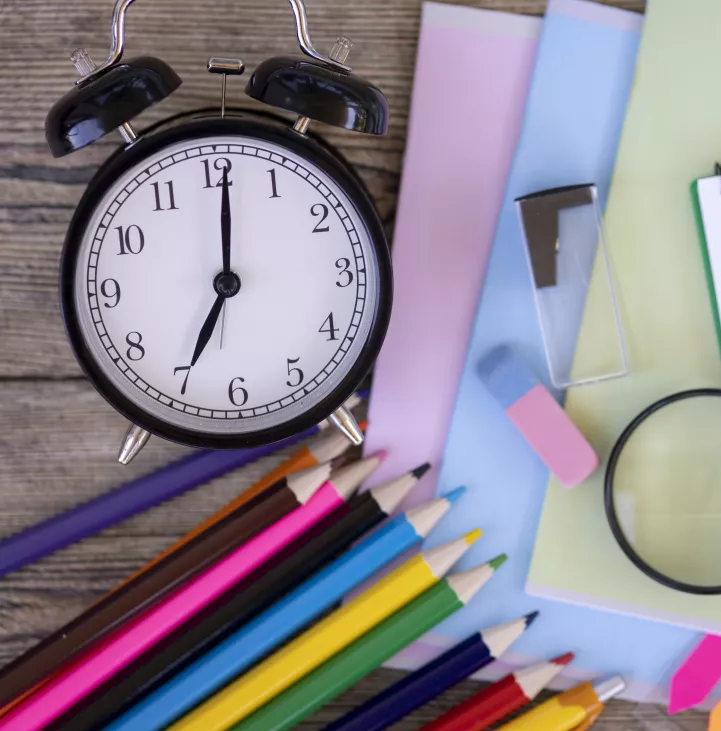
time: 7:00
